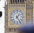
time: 1:24
